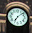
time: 7:08
